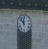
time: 11:52
